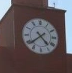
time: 4:38
